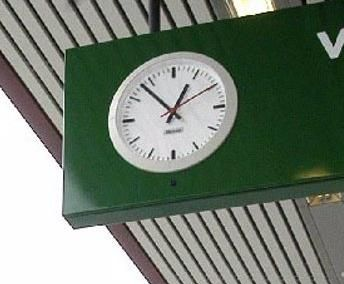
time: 12:53
